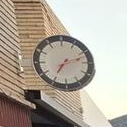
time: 7:12
